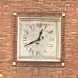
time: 12:40
